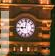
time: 9:01
